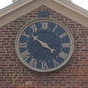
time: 3:51
